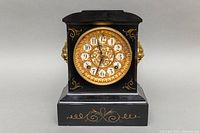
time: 11:33
